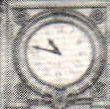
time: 10:47
